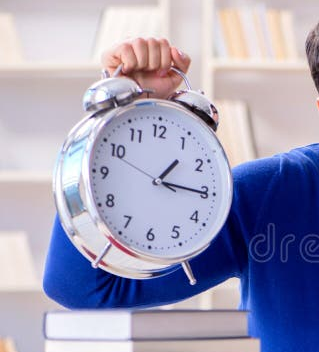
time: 1:15
